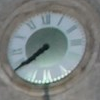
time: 7:39
